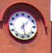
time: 1:27
